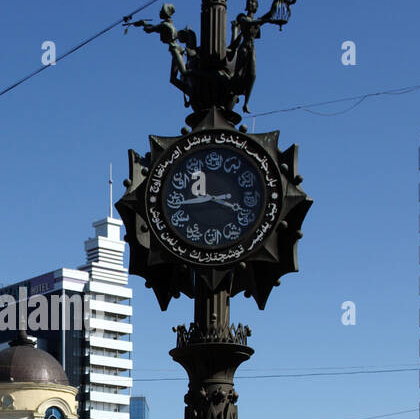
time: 3:43
